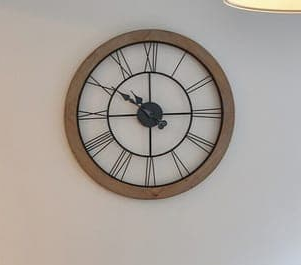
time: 10:14
